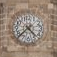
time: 4:37
